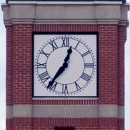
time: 12:36
